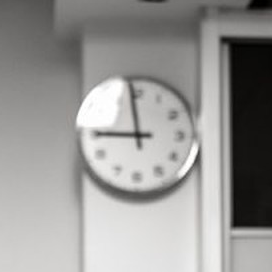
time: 8:58
